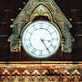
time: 3:24
